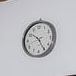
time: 10:25
